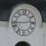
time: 2:43
